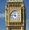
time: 11:46
